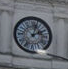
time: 2:02
